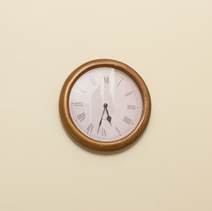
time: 5:32
